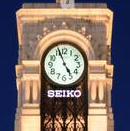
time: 4:56
